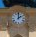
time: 2:00
